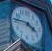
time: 3:45
